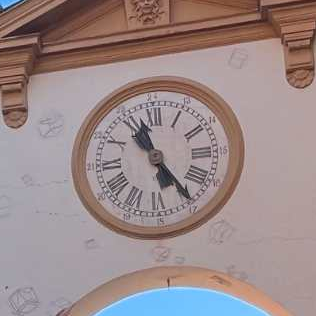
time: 11:24
